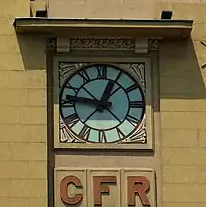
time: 12:46
